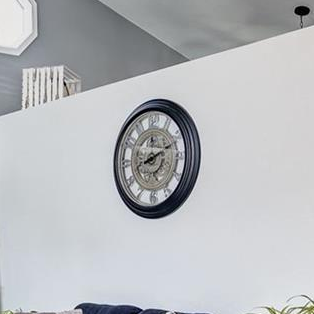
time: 8:11
